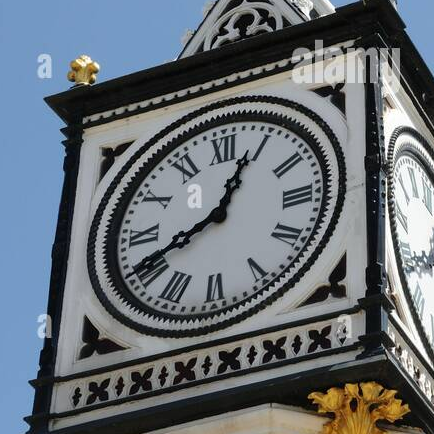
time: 12:40
